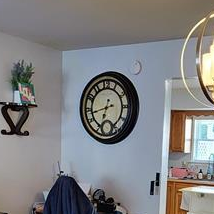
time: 6:43
